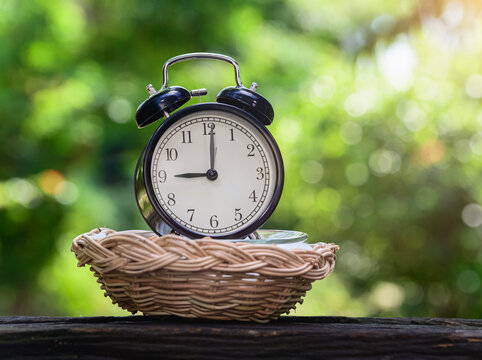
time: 9:00
